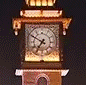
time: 6:49
